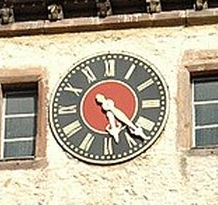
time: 5:21
